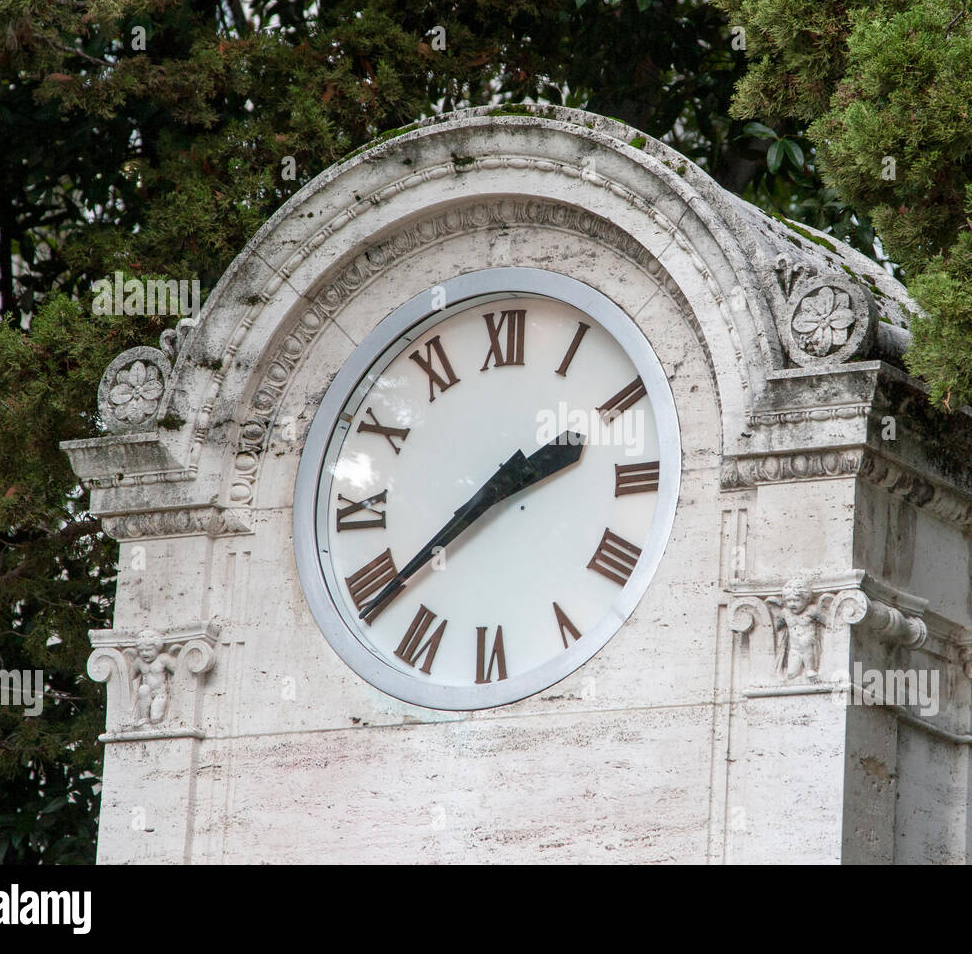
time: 2:38
